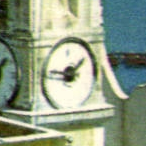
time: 1:46
